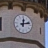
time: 12:12
